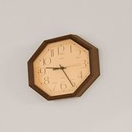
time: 9:25
